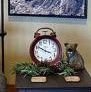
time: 3:50
